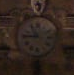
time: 10:45
